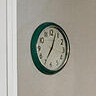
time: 7:03
